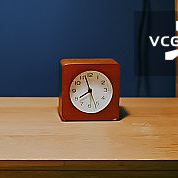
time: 7:57
